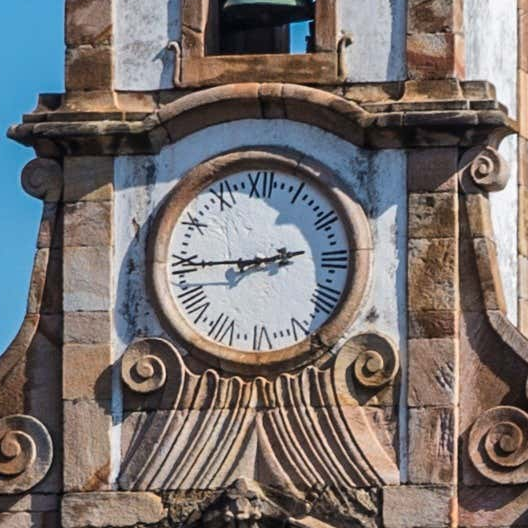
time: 2:44
